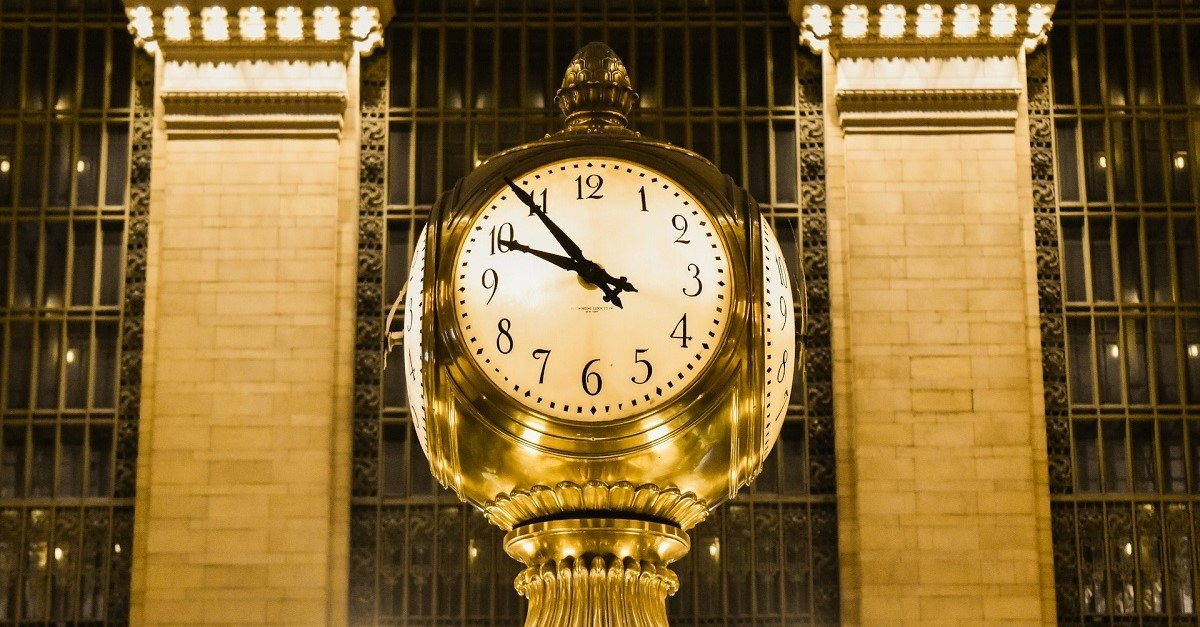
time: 9:53
